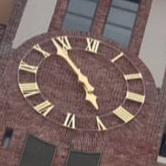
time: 4:52
